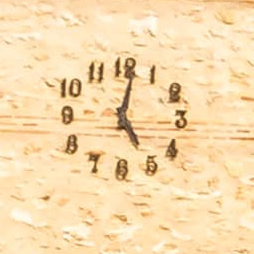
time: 5:01
